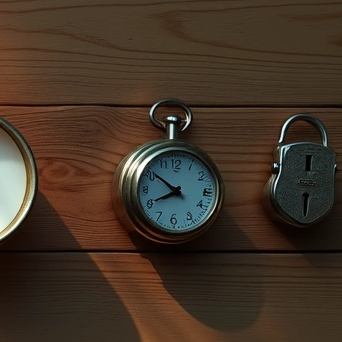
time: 7:51
